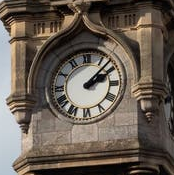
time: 2:07
